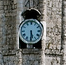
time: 5:30
